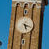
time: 5:18
